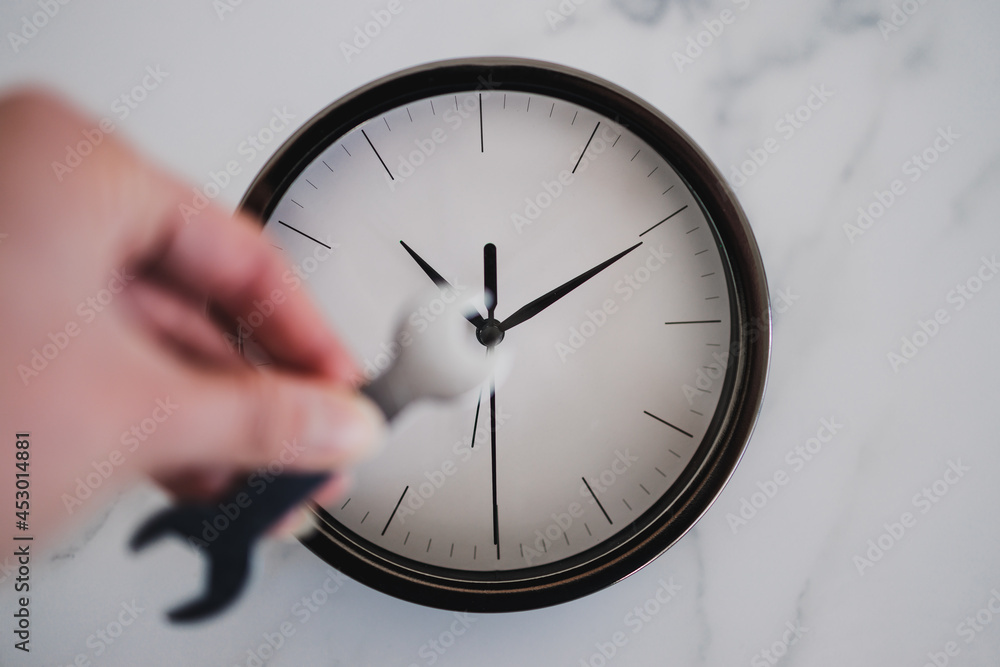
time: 12:10
